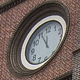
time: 11:55
